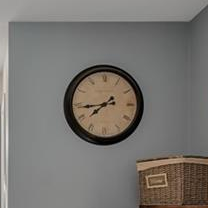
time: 7:43
